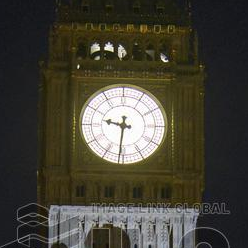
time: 9:31
